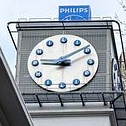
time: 9:10
